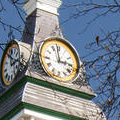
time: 2:58
